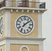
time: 7:08
